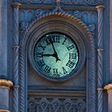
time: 8:56
